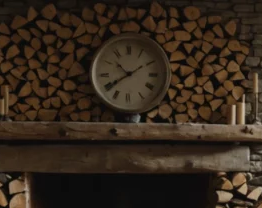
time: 10:39
